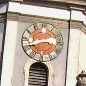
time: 3:40
